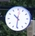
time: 10:31
